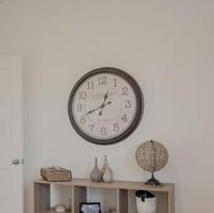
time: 12:41
